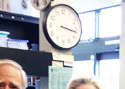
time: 3:16
